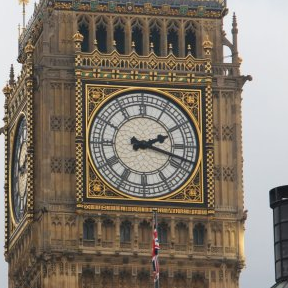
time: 2:18
